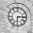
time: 6:14
